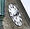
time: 1:40
